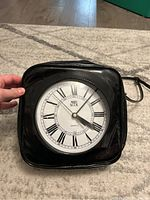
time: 4:06
